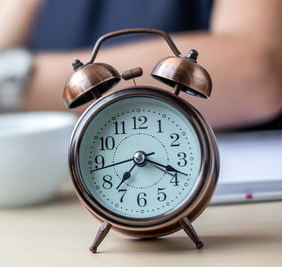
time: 7:18
